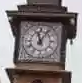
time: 11:05
